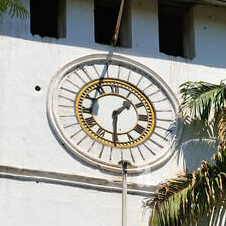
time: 1:30
